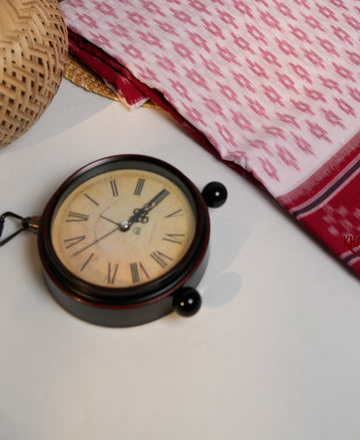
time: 1:05
